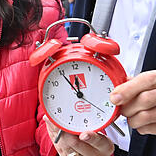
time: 11:54
